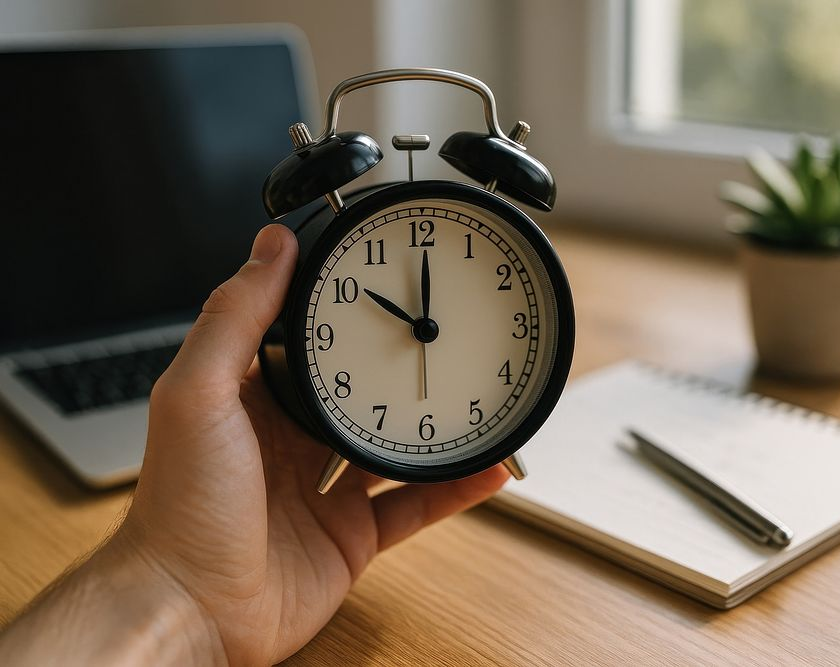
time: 10:00
